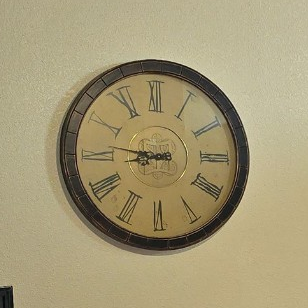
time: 8:46
